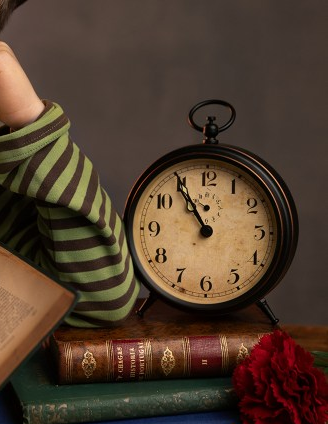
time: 10:54
